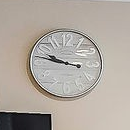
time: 9:47
